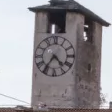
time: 4:35
